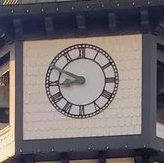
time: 8:49
